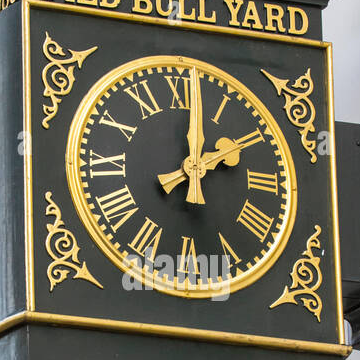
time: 2:01
